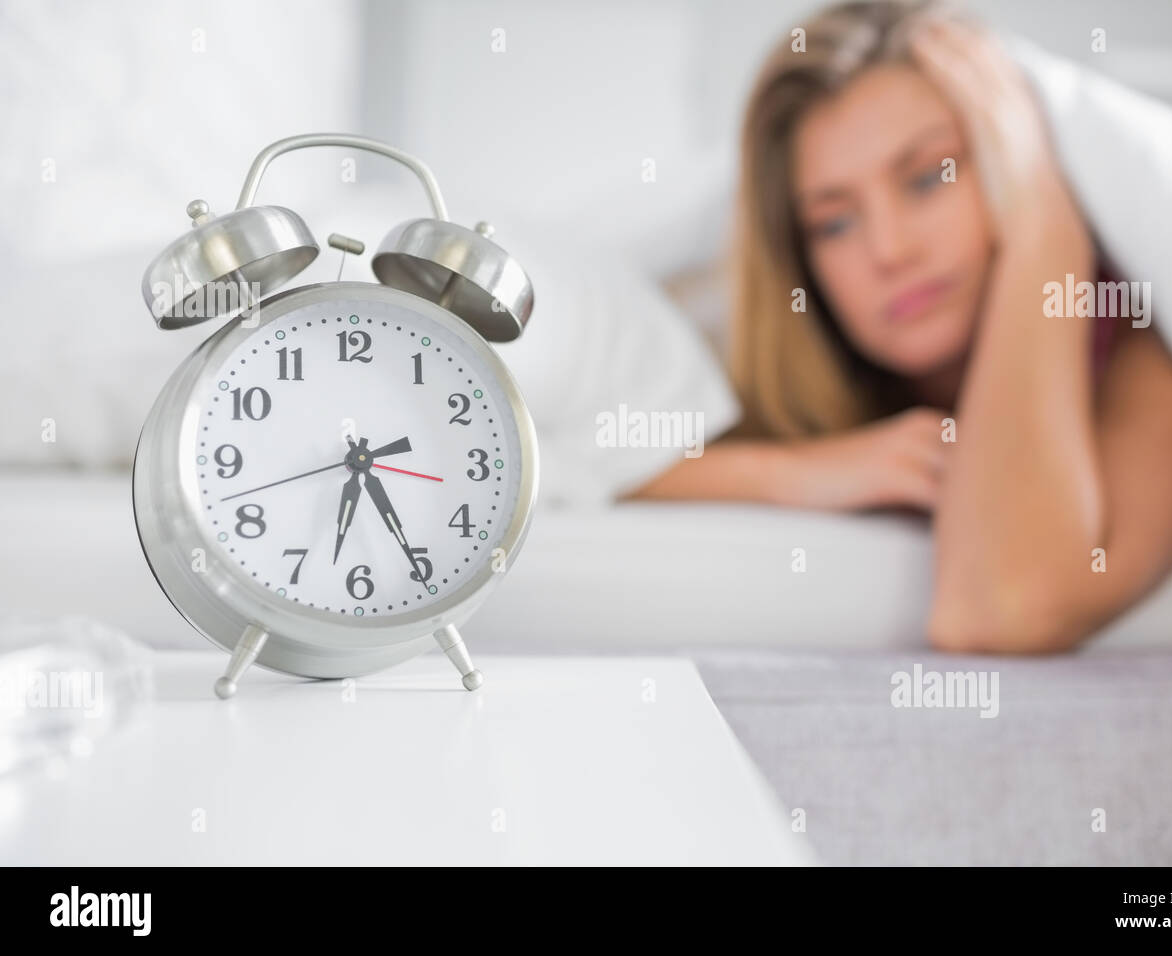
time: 6:25
